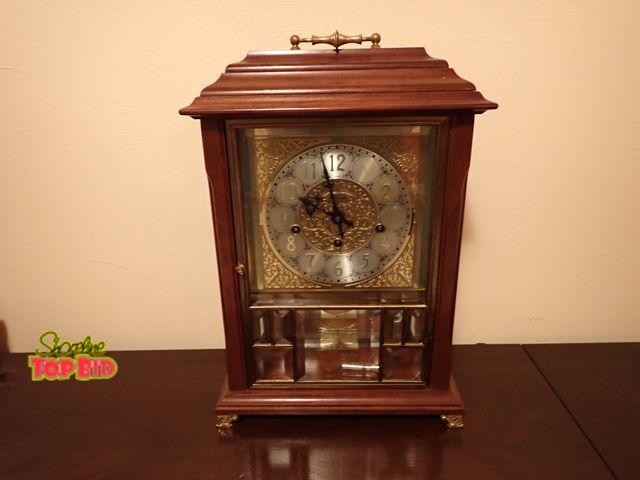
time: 9:57
